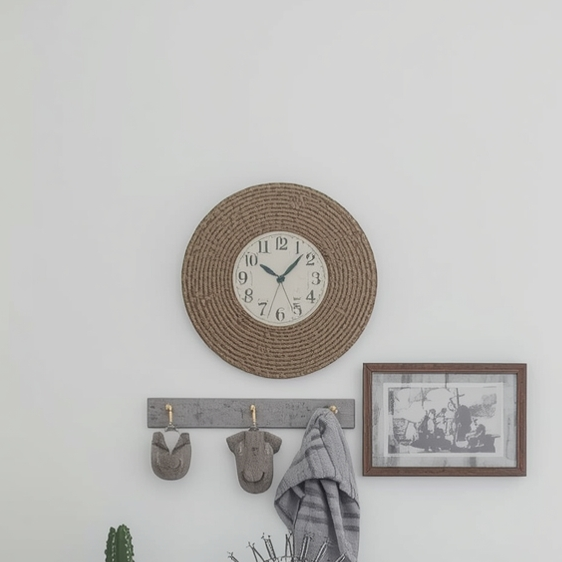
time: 10:07
